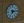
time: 7:15
